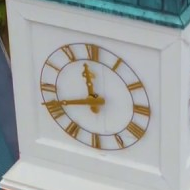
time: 11:41
